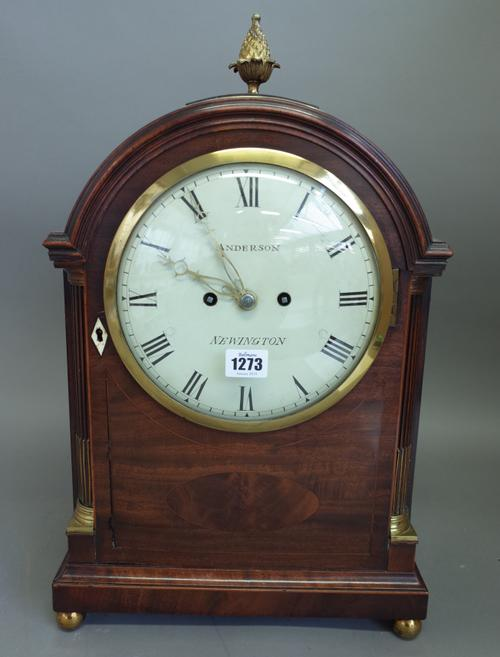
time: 9:55
